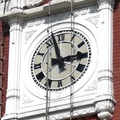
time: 2:57
